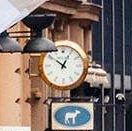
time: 12:51
